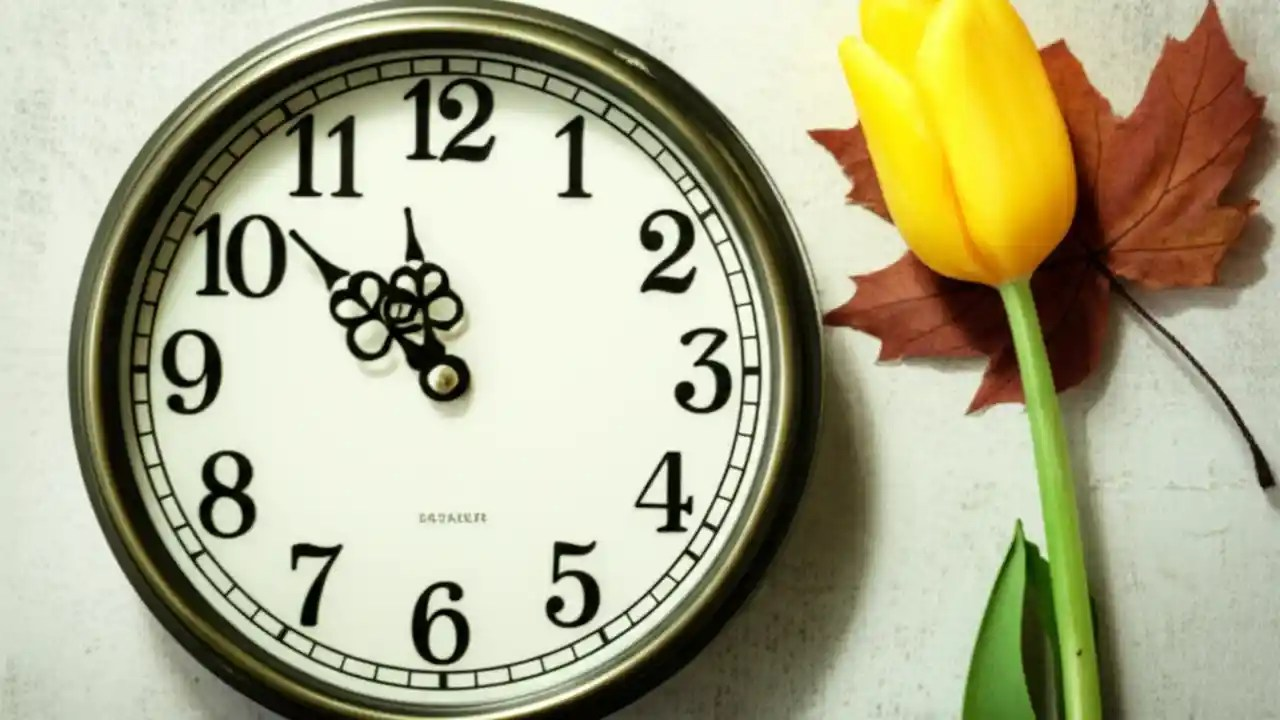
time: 11:52
